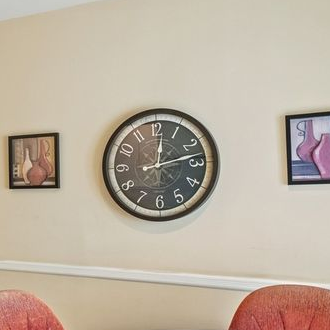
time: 12:13
